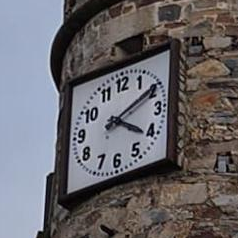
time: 4:10
